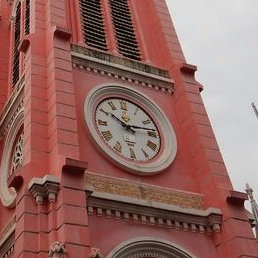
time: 10:13
